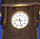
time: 9:27
